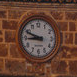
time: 8:48
